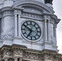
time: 6:50
